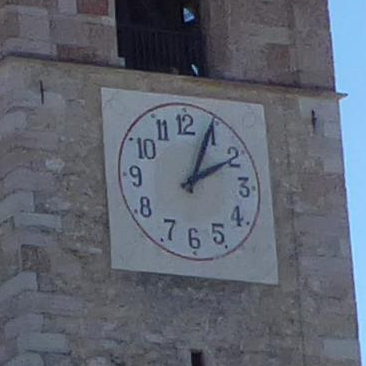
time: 2:04
